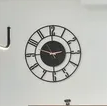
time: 2:48
